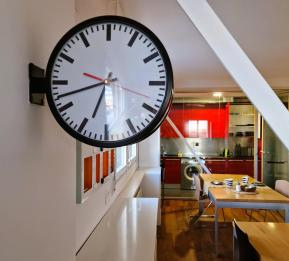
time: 6:42
